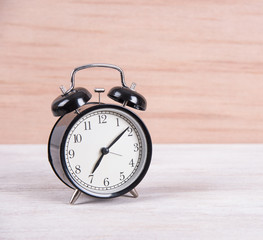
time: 7:08
